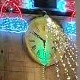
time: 5:51
